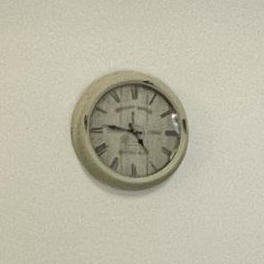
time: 4:46
